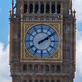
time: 2:09
